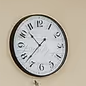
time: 10:37
